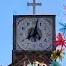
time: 8:01
